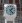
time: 1:22
